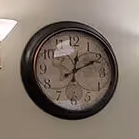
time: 12:10
